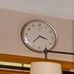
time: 3:37
